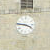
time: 3:46
